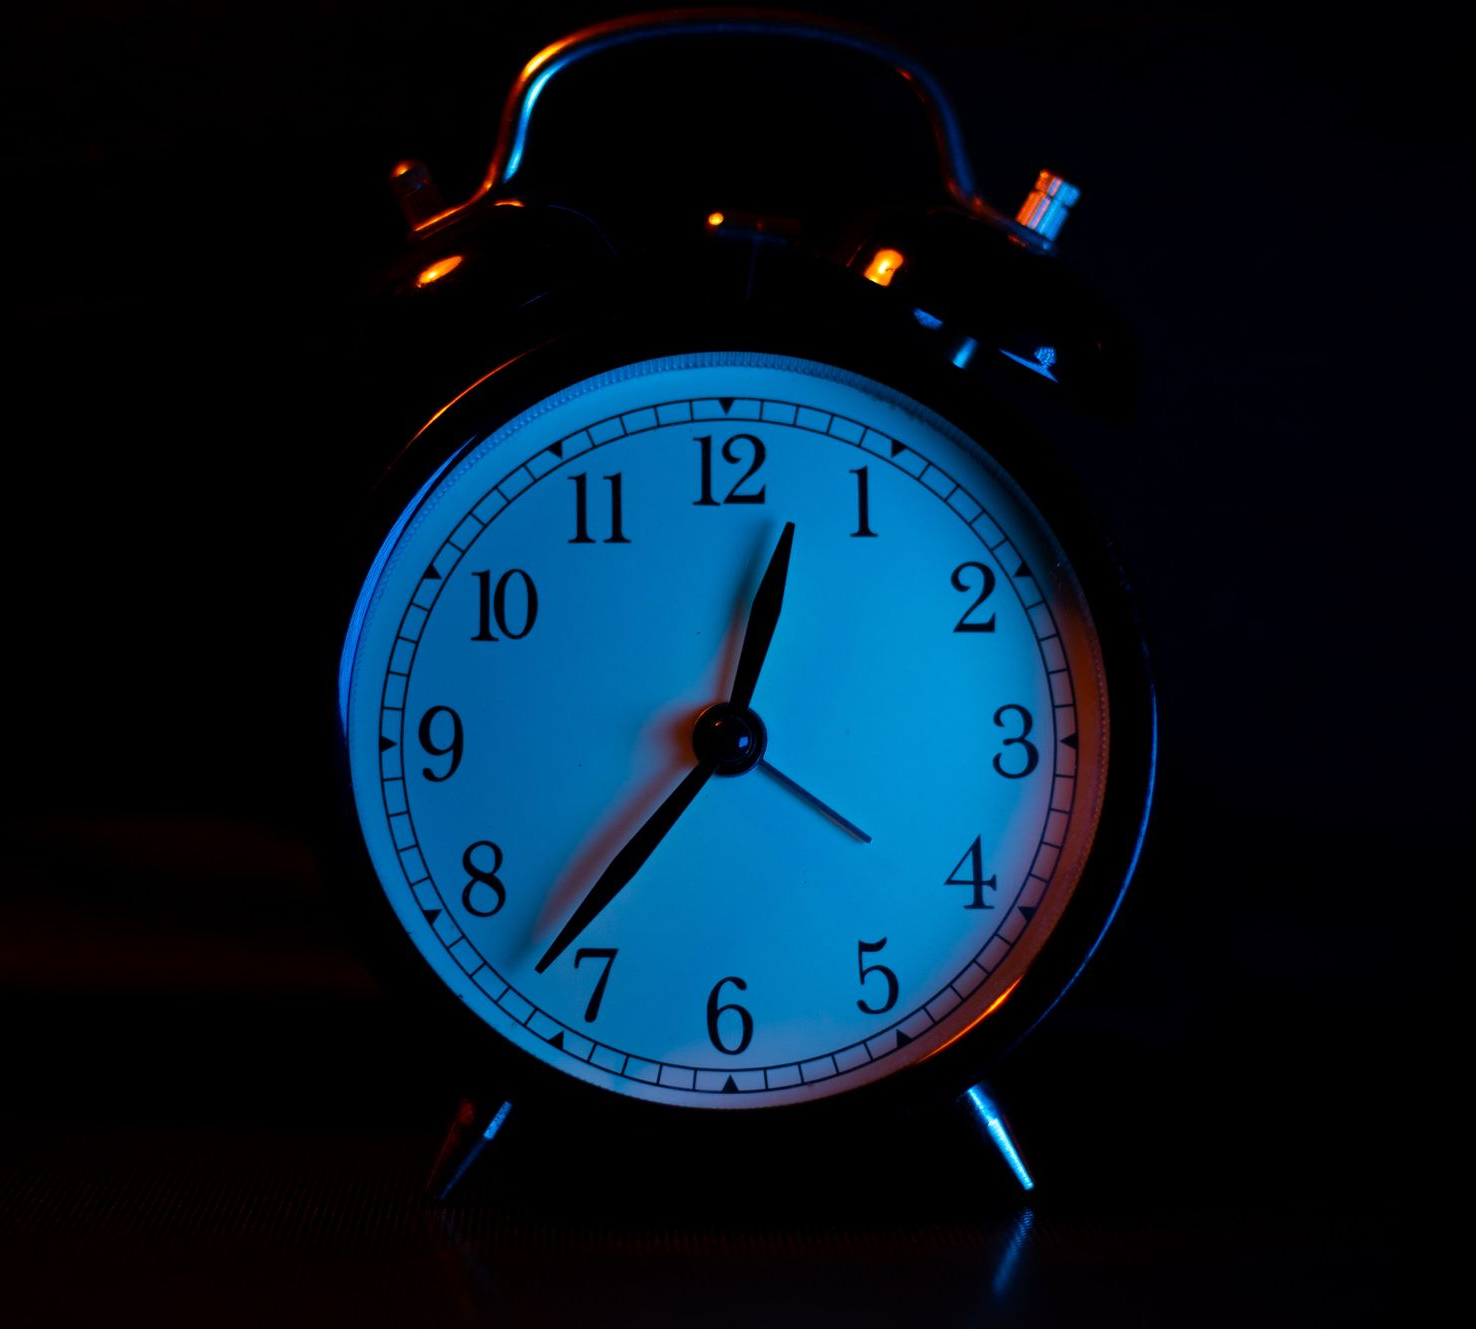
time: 12:36
